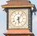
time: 6:06
